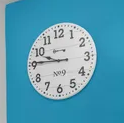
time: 9:45
